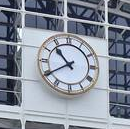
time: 10:39
